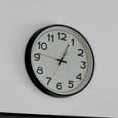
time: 12:46
